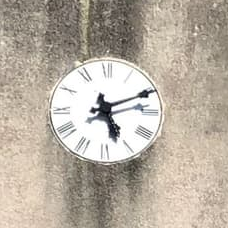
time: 5:11
